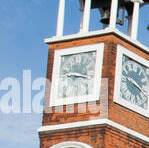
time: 9:16
